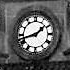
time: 1:42
